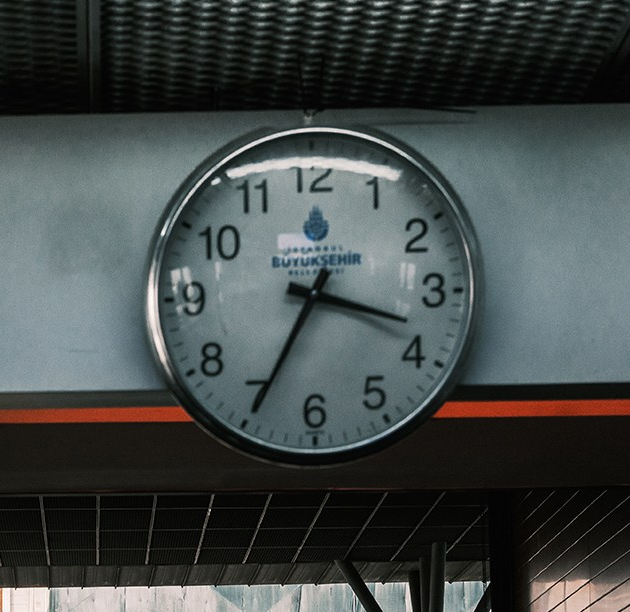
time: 3:34
